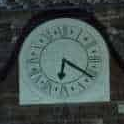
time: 6:20
